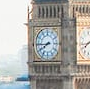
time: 7:44
